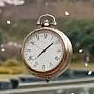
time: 1:37
